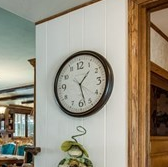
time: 1:27
